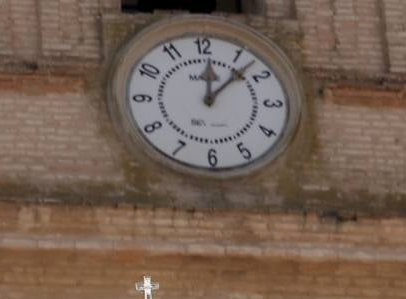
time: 12:07
